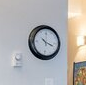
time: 10:18
